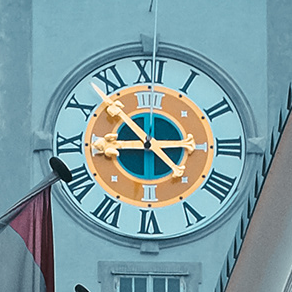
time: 8:52
